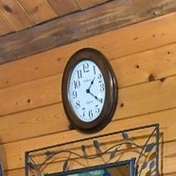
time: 1:20
